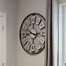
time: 2:48
